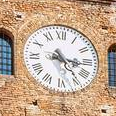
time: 4:16
